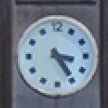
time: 3:24
